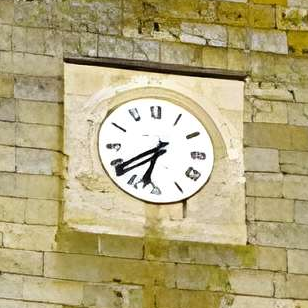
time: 6:39
